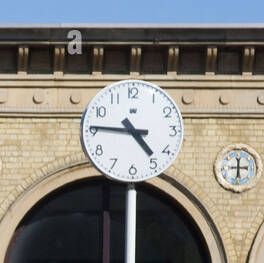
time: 4:45
